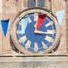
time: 1:16
